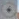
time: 9:02
